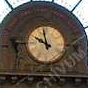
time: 9:57
